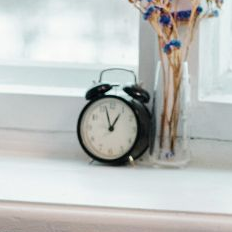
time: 12:57
